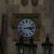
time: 3:13
